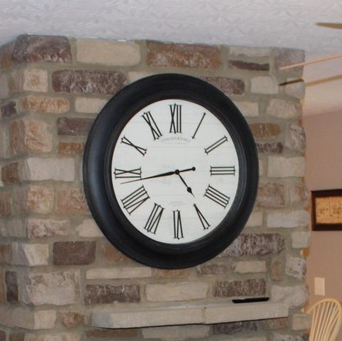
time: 4:43
